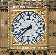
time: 8:38
